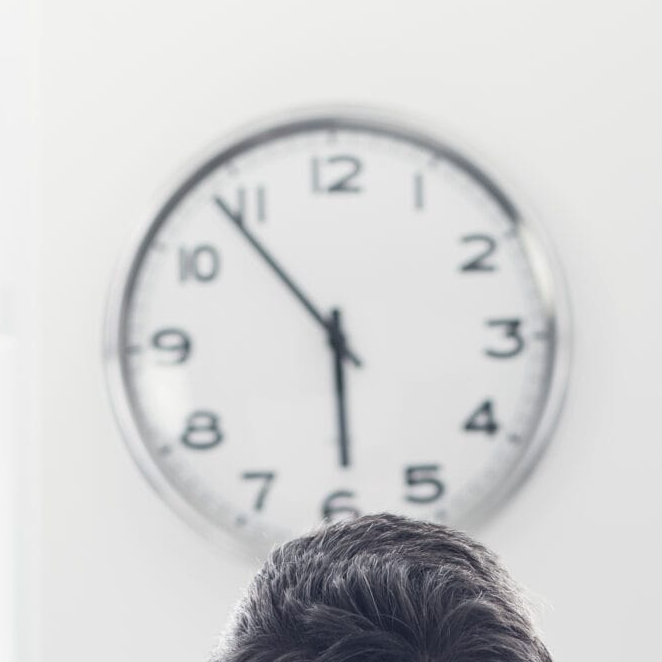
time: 5:53
